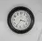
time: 3:35
